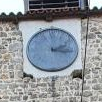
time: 2:16
